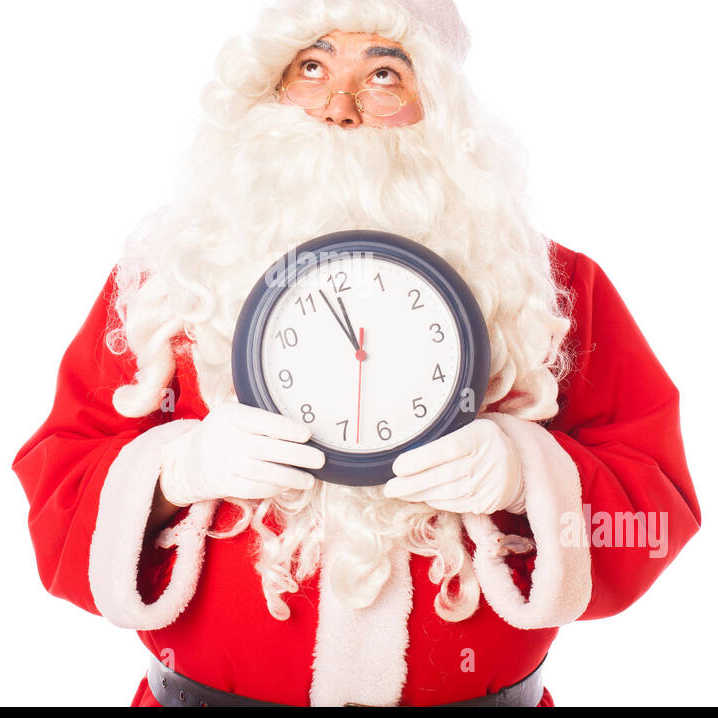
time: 11:57
